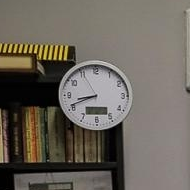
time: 8:41
